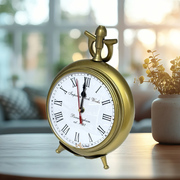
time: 11:59
